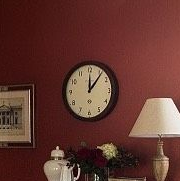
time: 12:06
